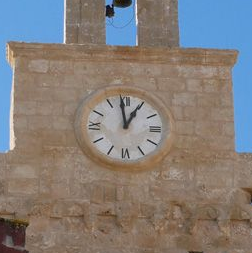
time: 12:58
